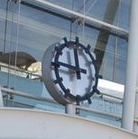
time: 11:46
